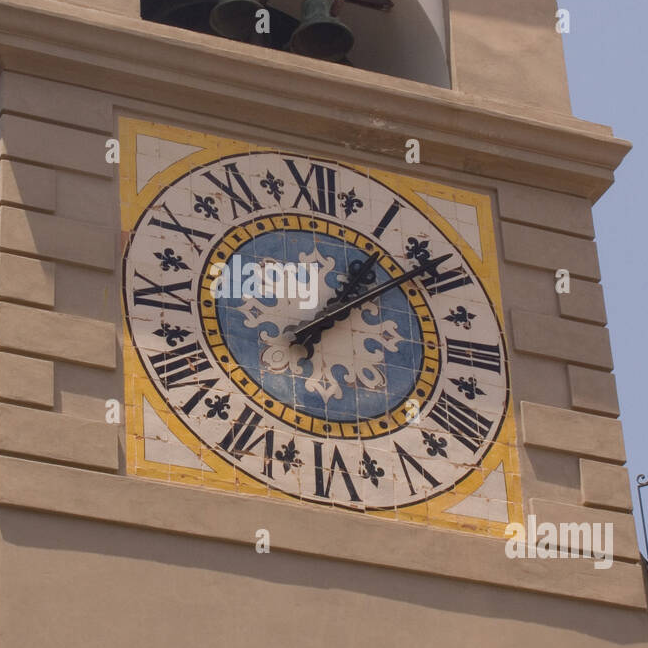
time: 1:08
